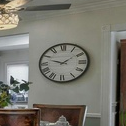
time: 1:47
